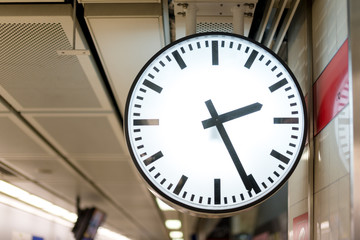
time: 2:25
